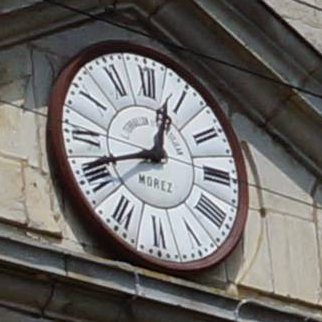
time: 12:41
